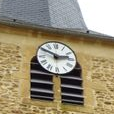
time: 2:49
